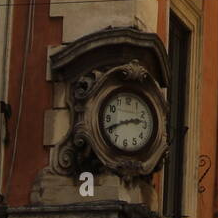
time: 2:42
